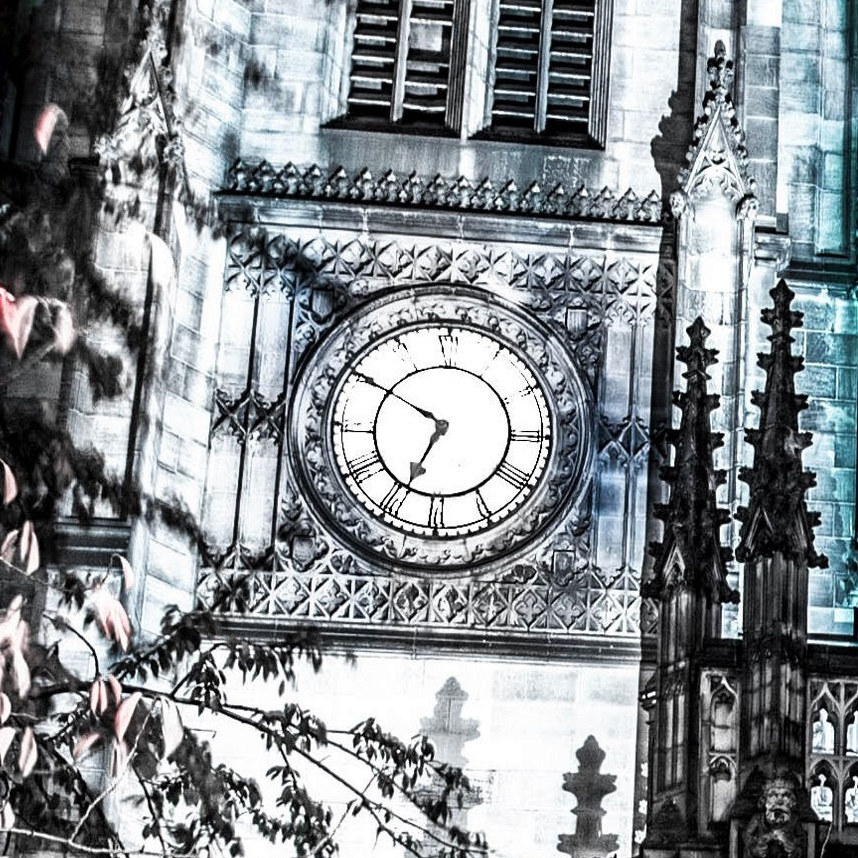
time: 6:50
